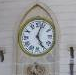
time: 5:03
